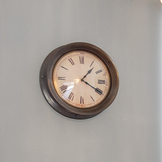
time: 1:19
